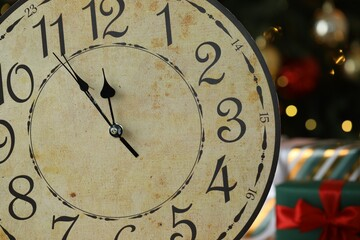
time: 11:54
